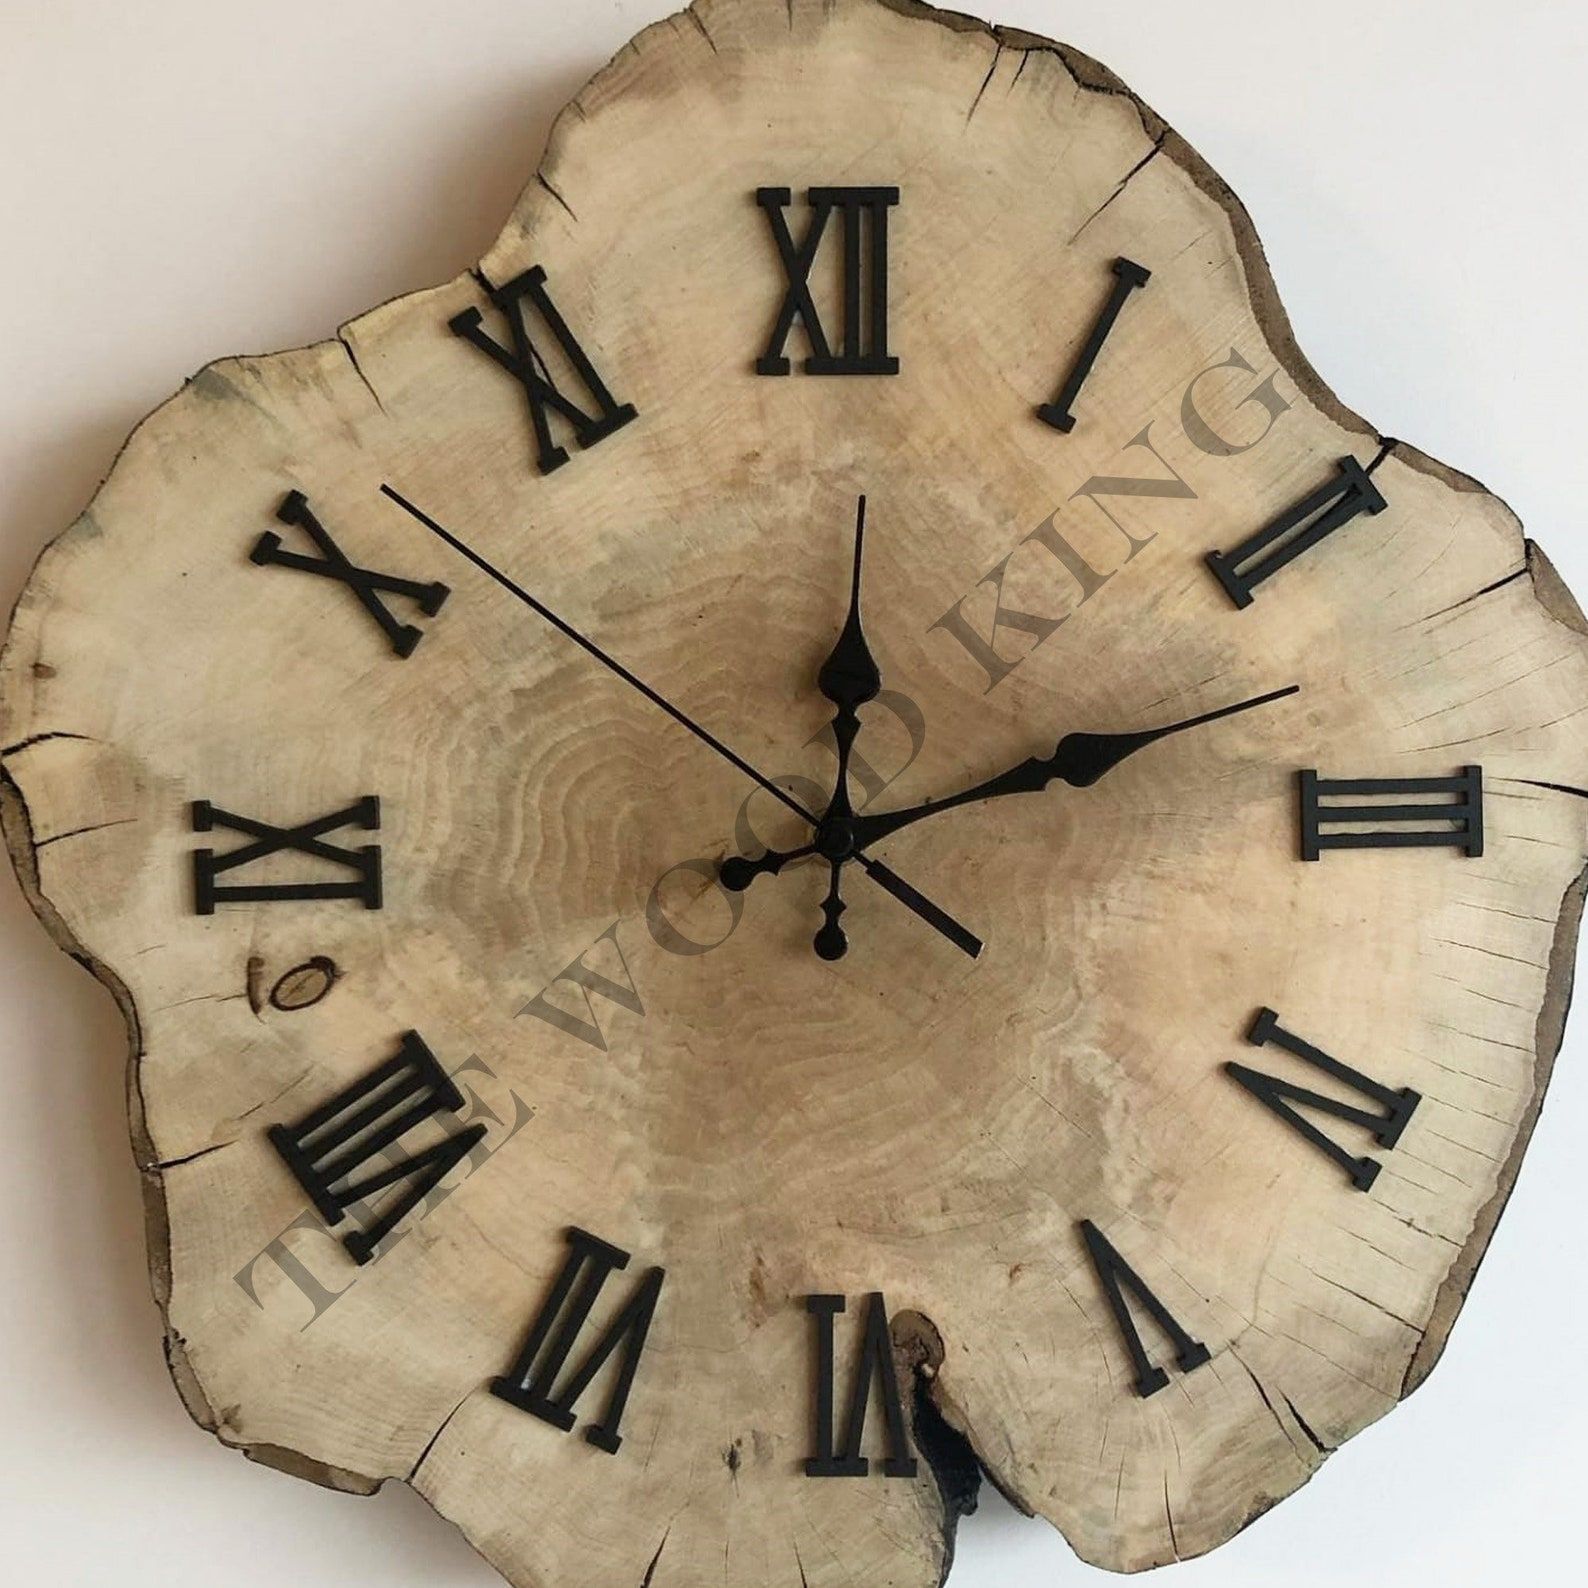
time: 12:12
